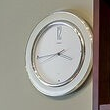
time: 3:43
